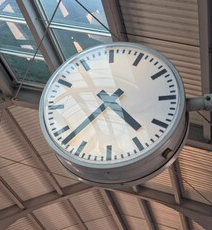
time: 4:37
